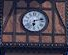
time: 6:12
